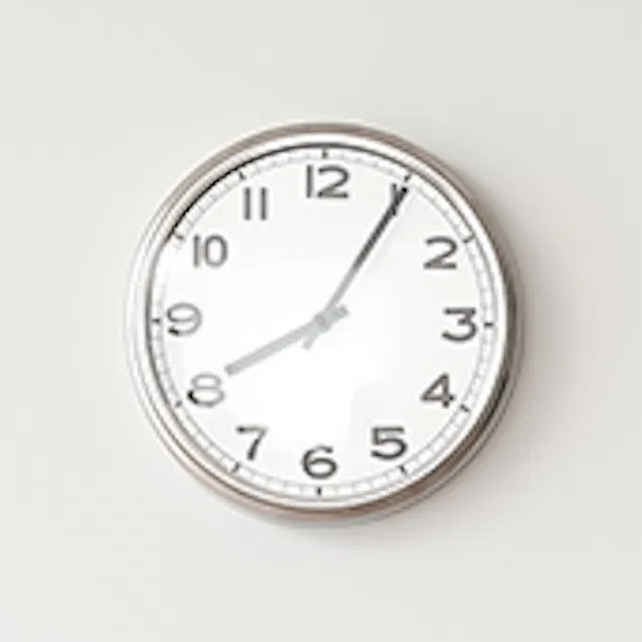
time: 8:05
